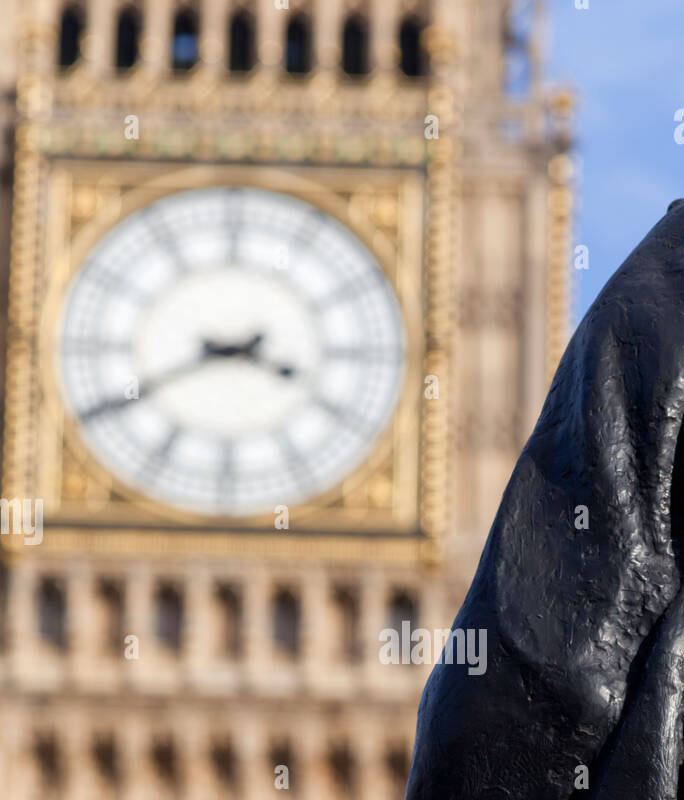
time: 3:40
